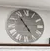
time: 4:54
